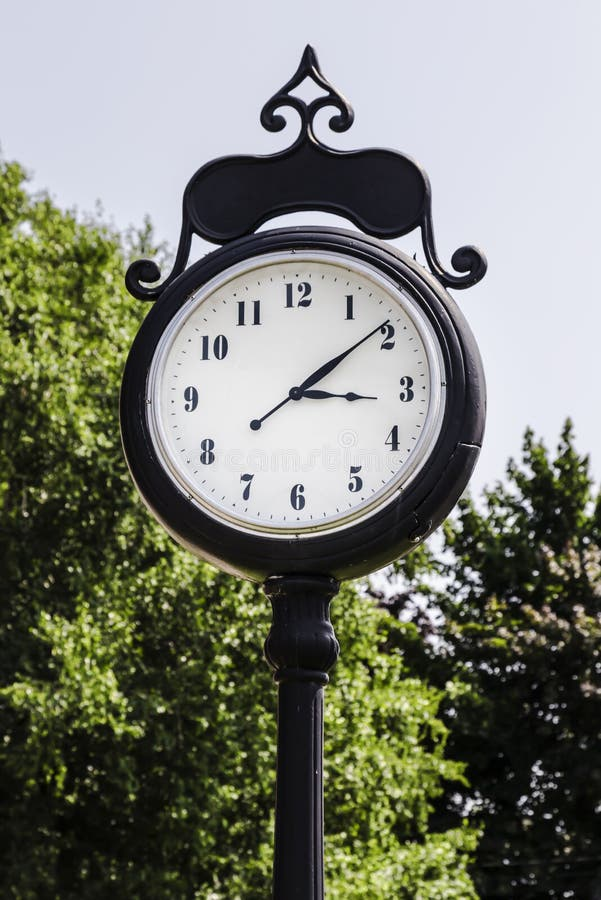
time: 3:09
